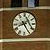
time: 8:25
